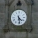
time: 4:28
